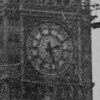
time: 2:27
